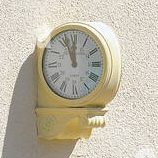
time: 11:56
